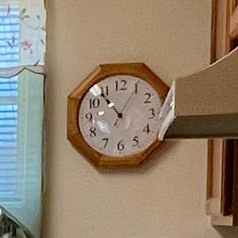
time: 10:53
